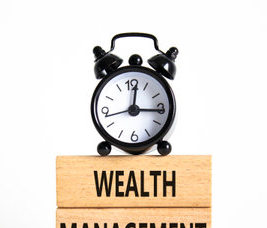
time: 12:15
